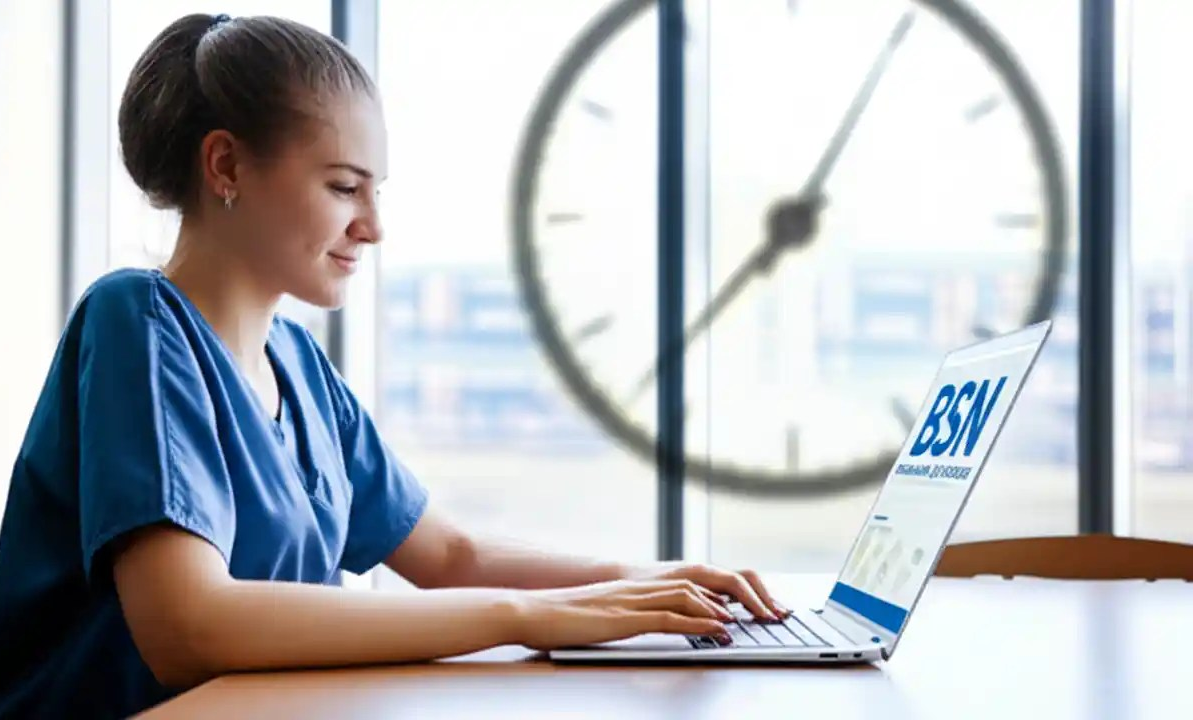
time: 7:37
